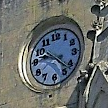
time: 9:22
